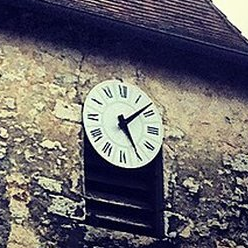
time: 5:08
